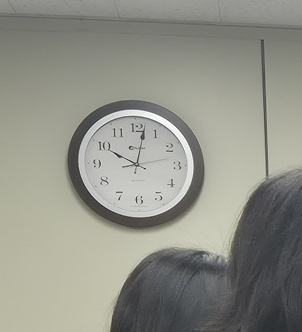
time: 10:02
